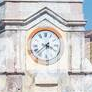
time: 3:37
